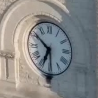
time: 6:50
